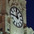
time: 11:46
